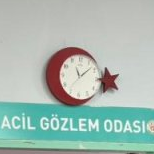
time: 11:08
